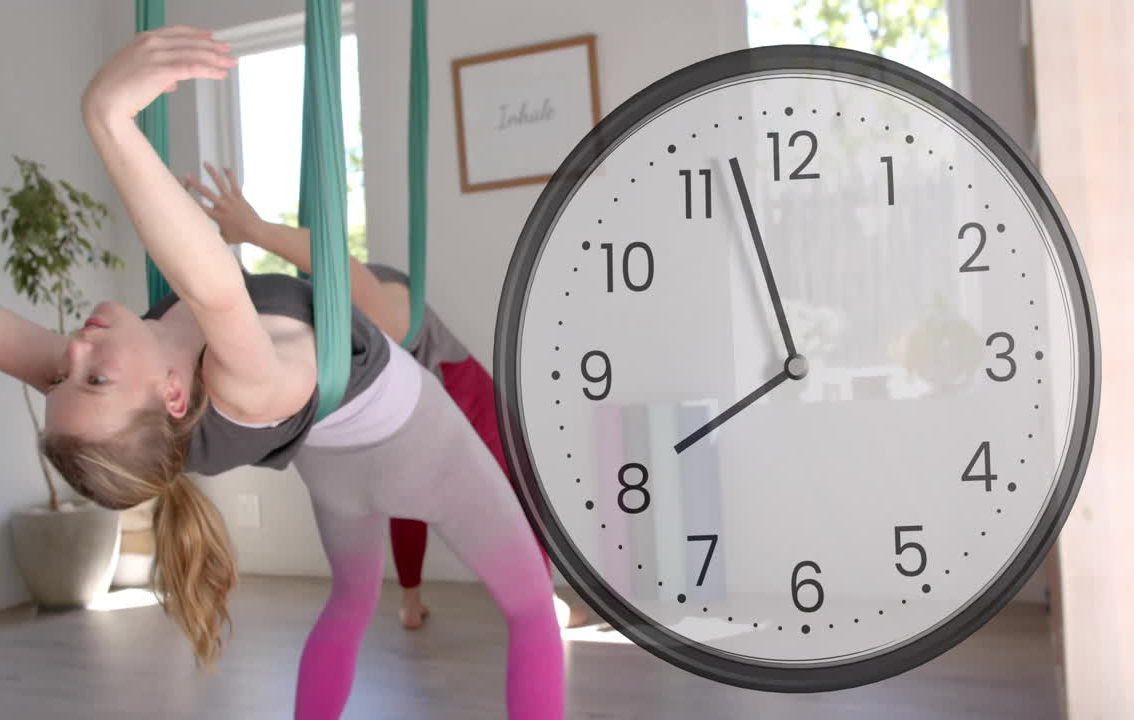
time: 7:57
